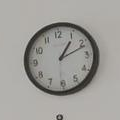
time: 1:11
